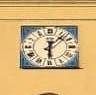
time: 6:07
